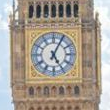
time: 5:04
